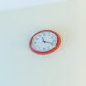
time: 11:18
